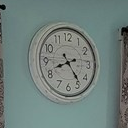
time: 8:23
